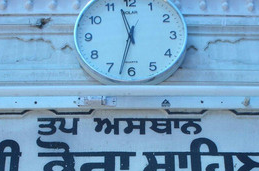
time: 11:32
